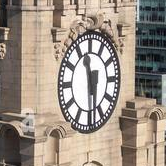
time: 11:29
